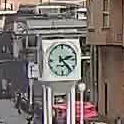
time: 2:23
